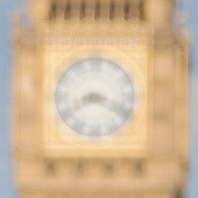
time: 8:18
